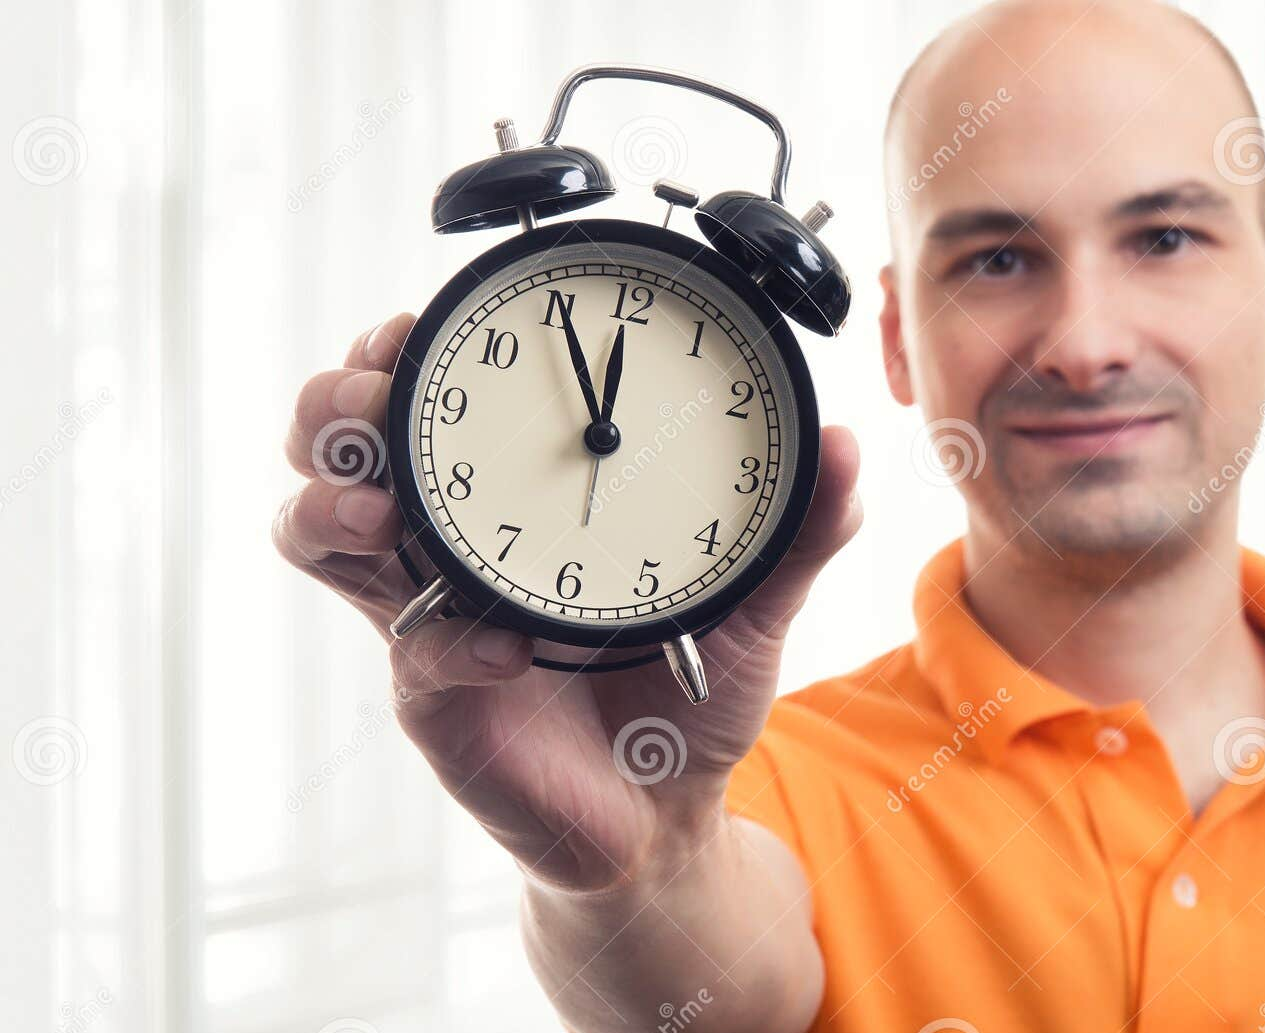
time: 11:55
